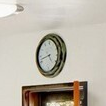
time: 4:42
